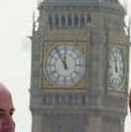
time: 11:54
